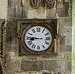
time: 8:45
